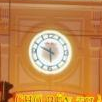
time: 5:49
